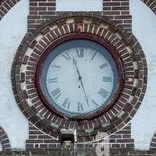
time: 11:26
